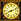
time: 8:11
